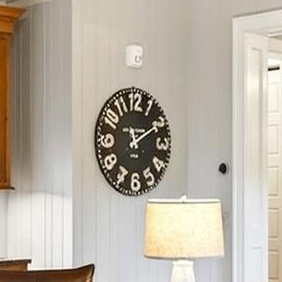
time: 11:09
